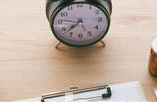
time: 7:46
